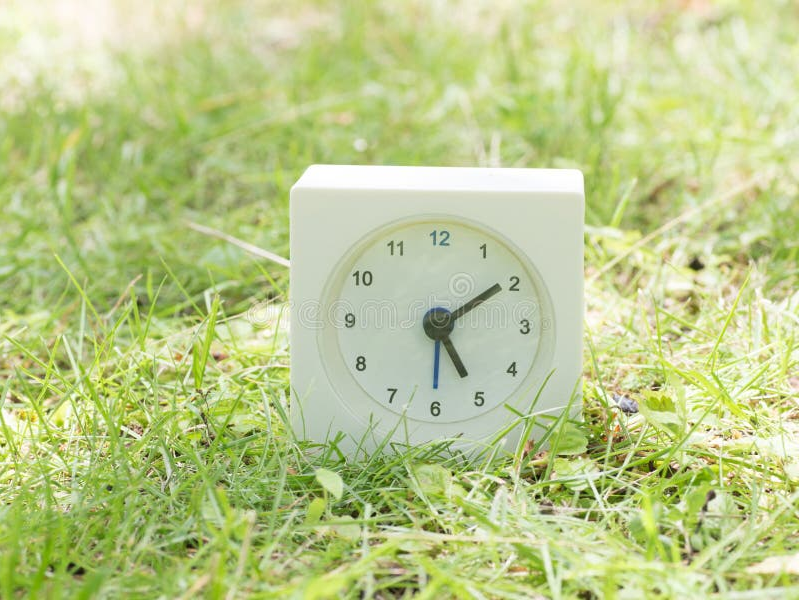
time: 5:09
